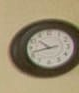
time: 10:42
